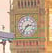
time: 2:36
